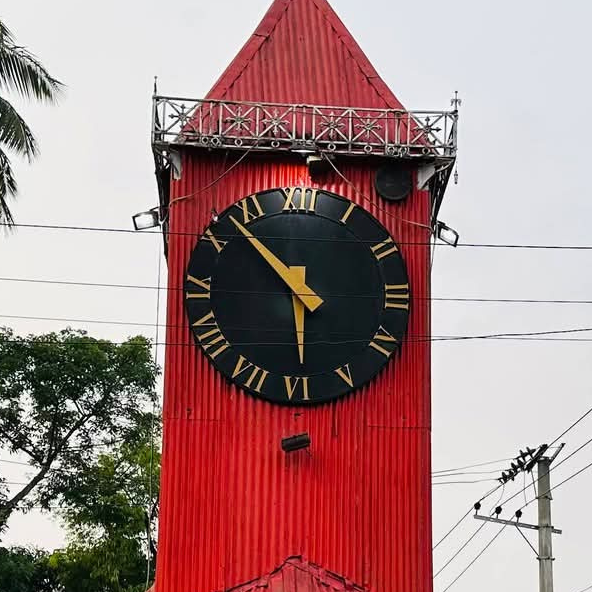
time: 5:52
